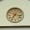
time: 7:17
